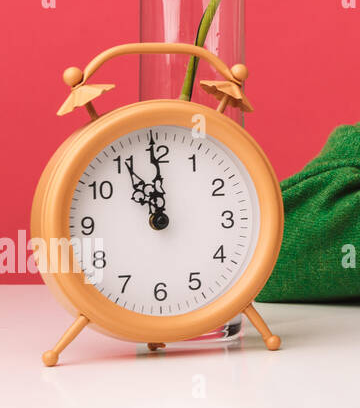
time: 10:59
